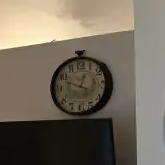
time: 12:48
